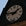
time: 1:46
